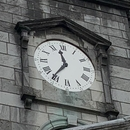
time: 11:36
